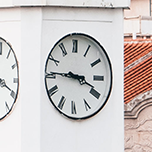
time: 3:45
